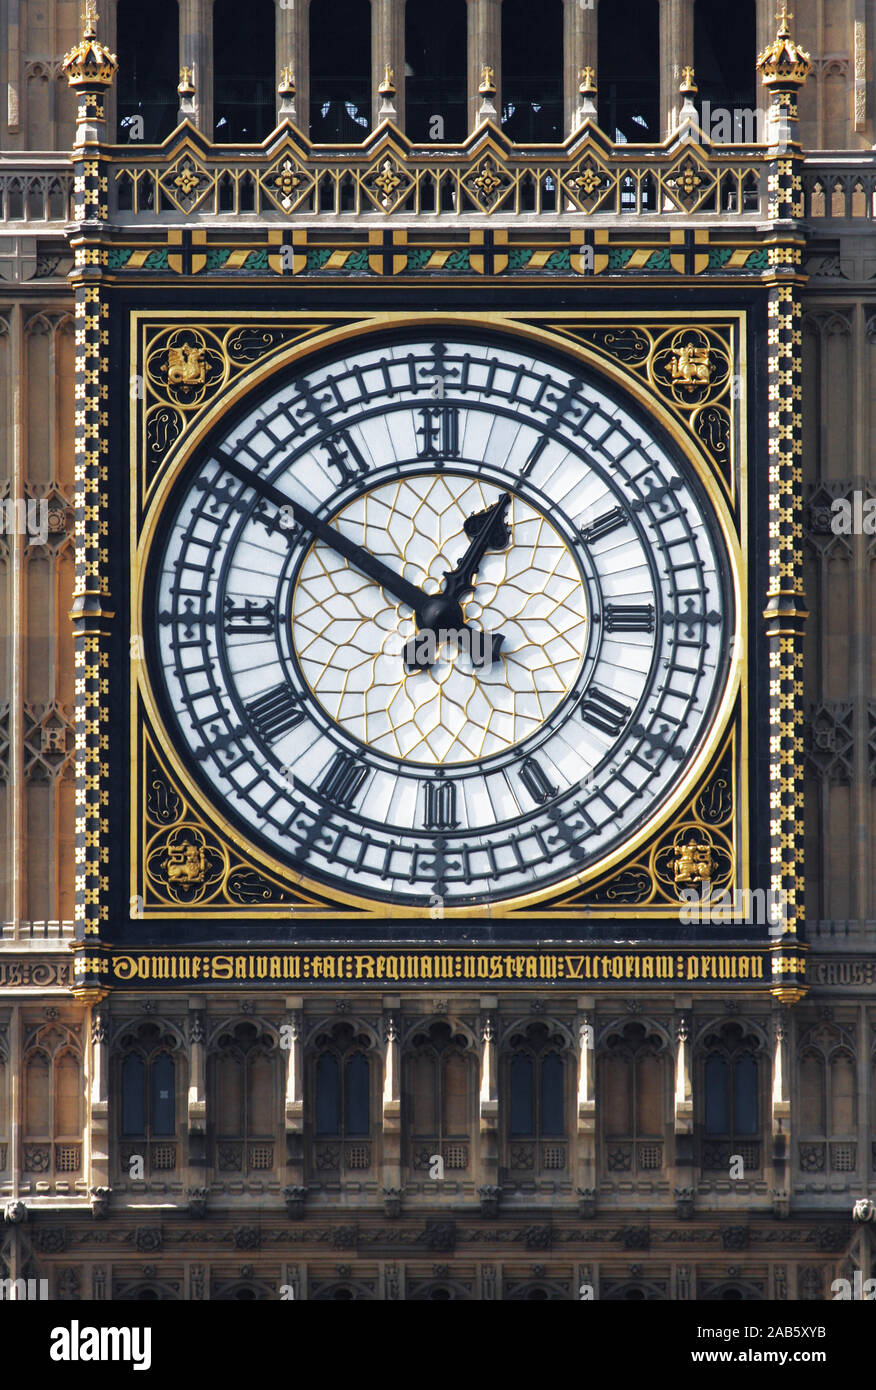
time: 12:51
